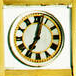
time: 7:01
